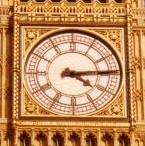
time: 4:14
